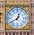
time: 12:39
